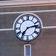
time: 7:13
